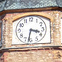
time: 3:32
